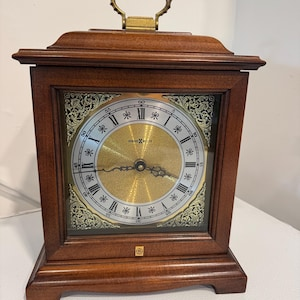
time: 3:43
